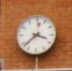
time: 3:38
